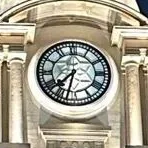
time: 7:32
